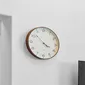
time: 3:52
